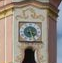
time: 5:18
